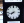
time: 7:42
